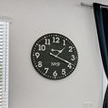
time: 1:18
